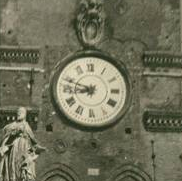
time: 8:48
